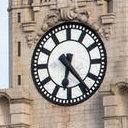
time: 6:23
